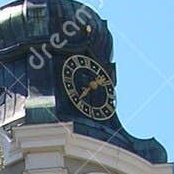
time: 1:38
